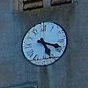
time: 5:18
